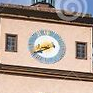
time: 8:40
